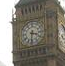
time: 3:31
